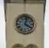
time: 4:02
